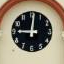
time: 9:01
